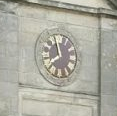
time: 7:57
